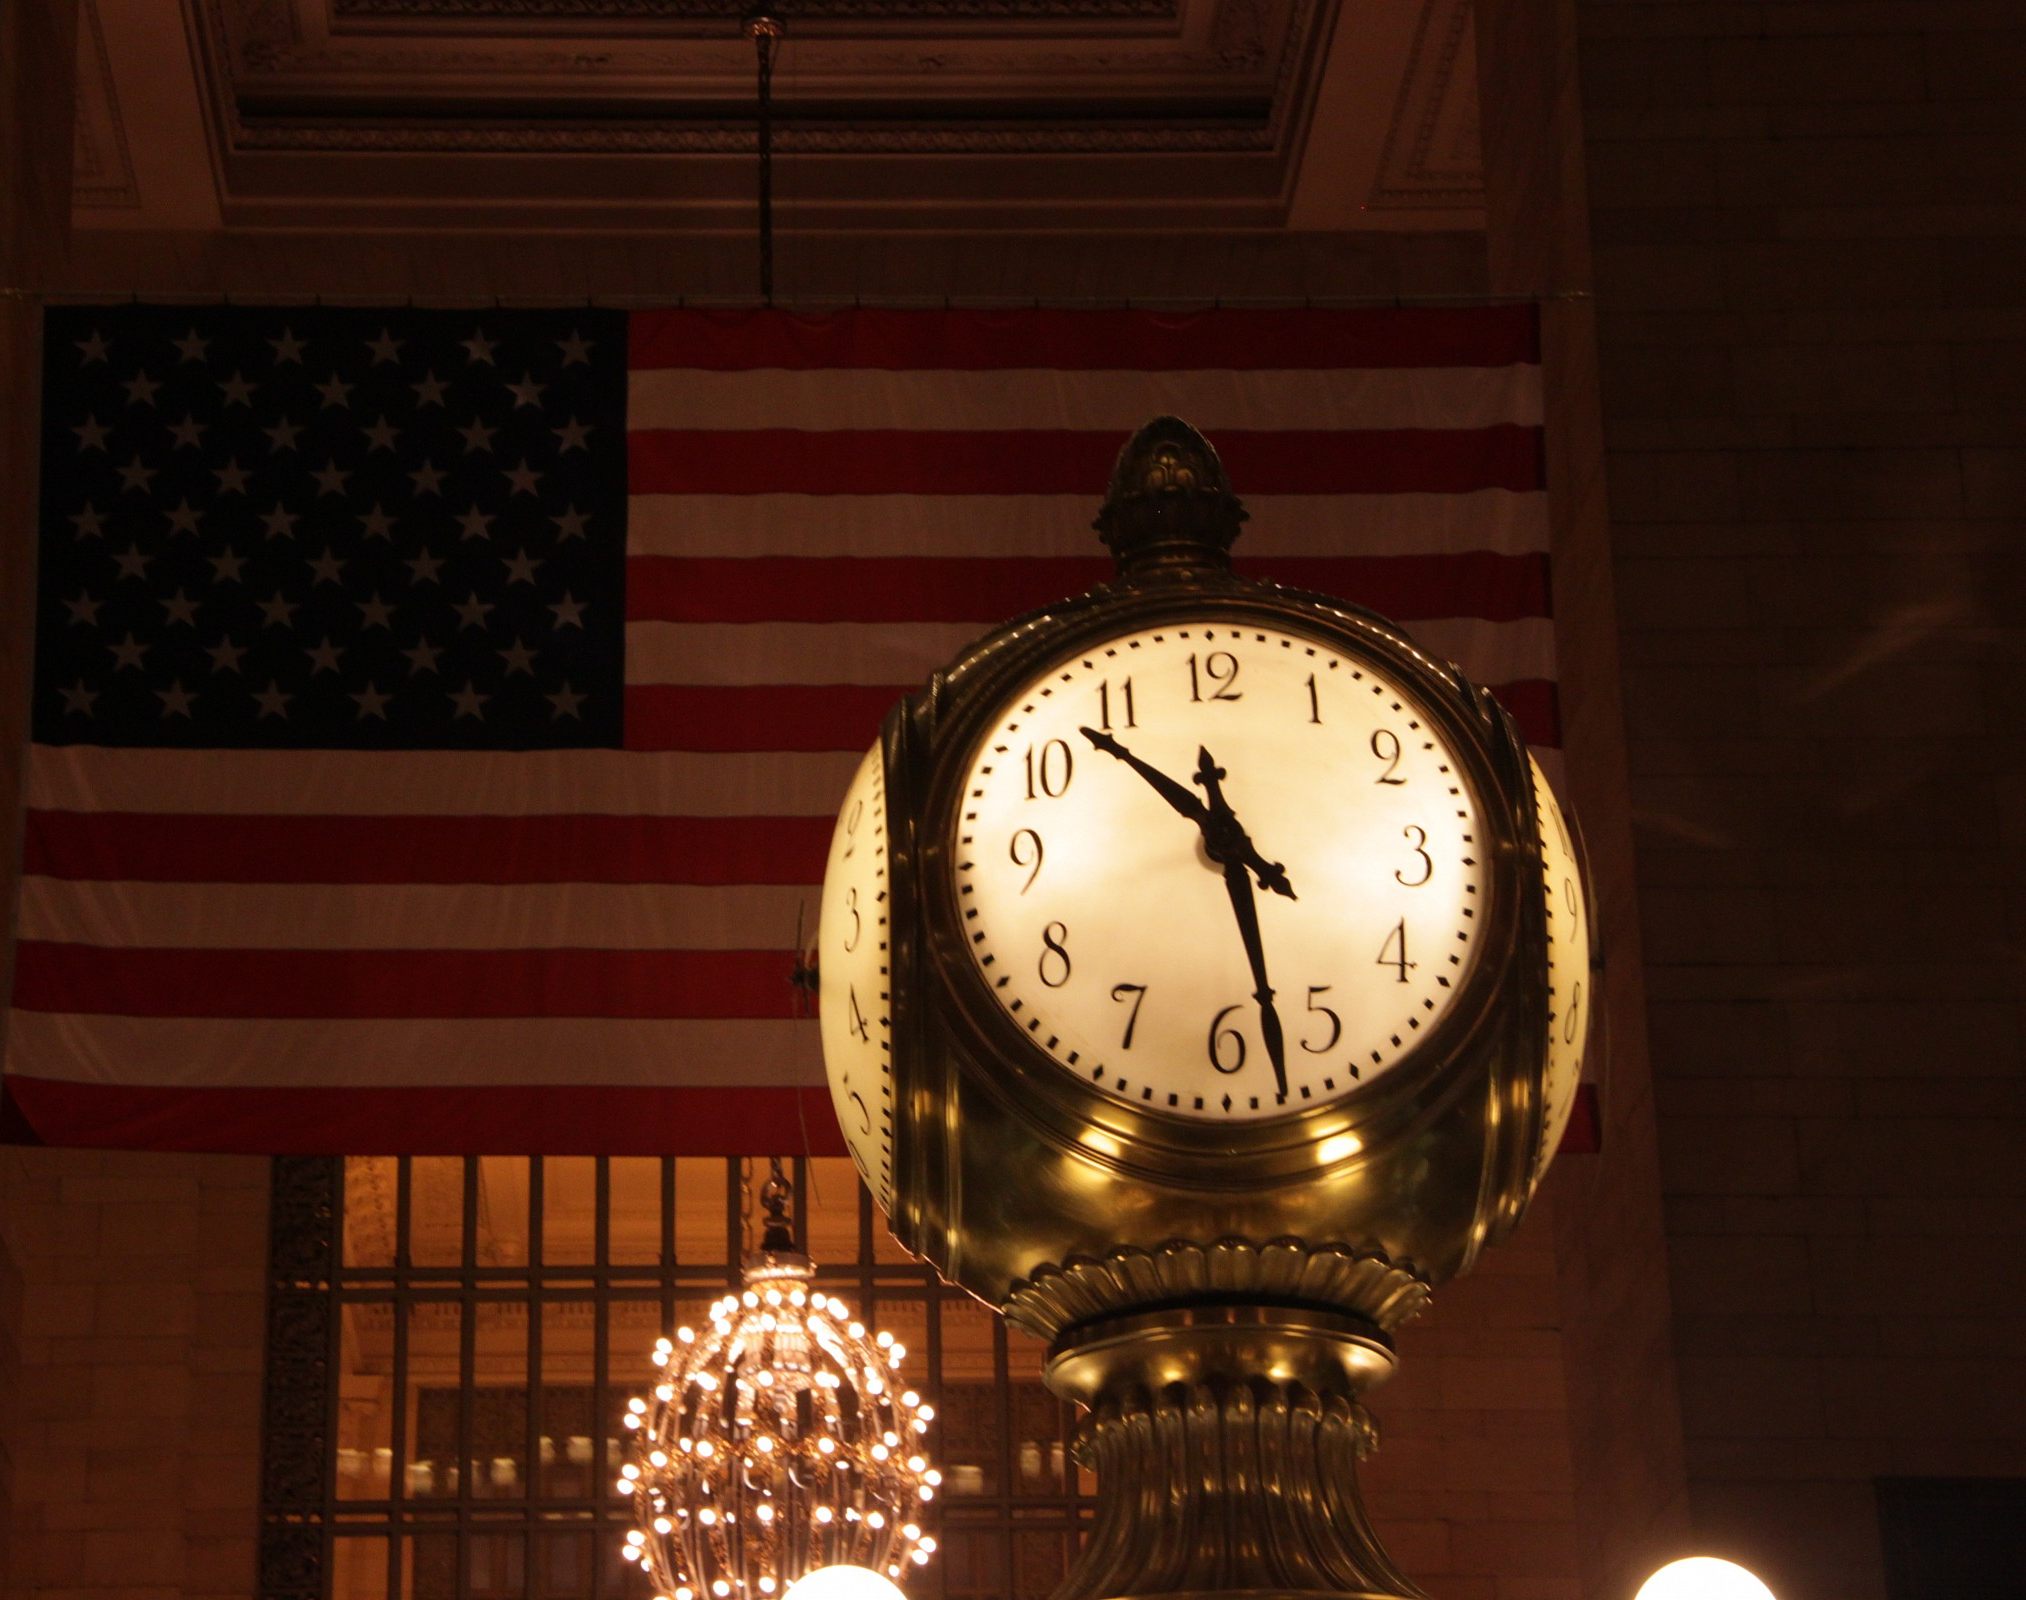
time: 10:28
